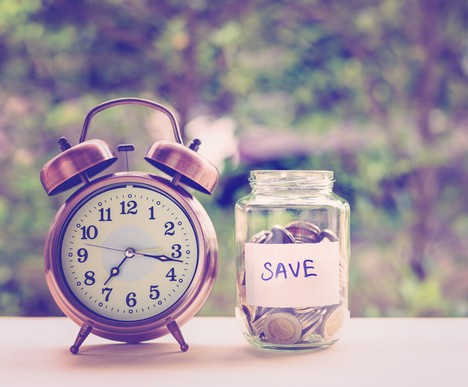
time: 7:16
